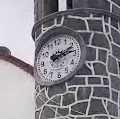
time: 2:14
